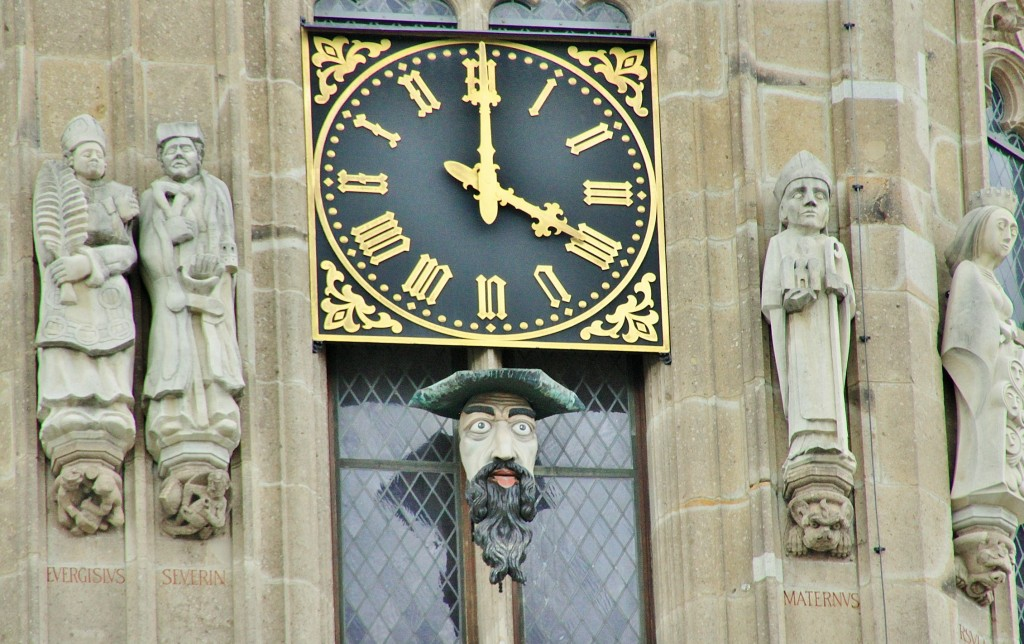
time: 4:00
